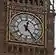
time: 12:23
